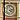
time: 4:12
